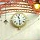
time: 11:28
